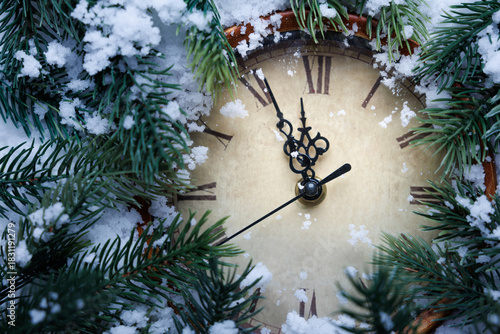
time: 11:56
